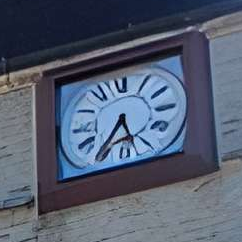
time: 5:35
